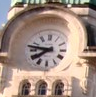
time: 7:46
